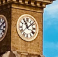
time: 11:08
